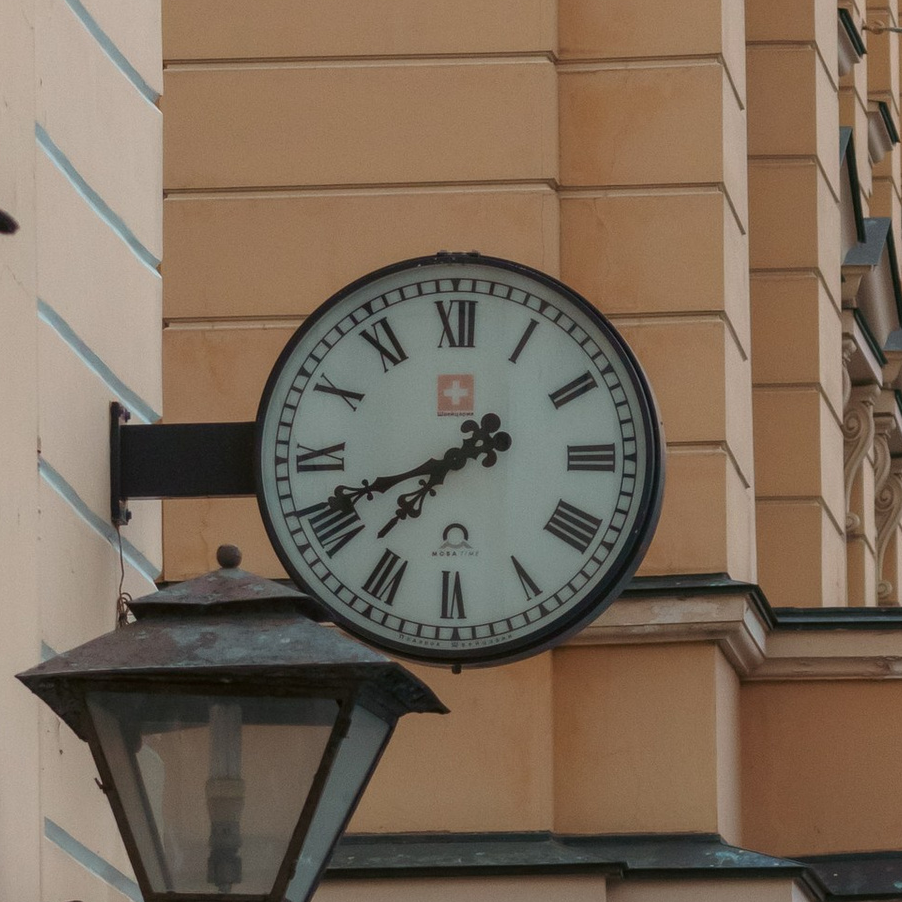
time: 7:41
